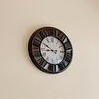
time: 8:49
